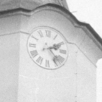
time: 2:23
